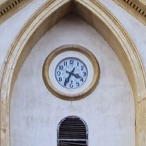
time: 3:34
